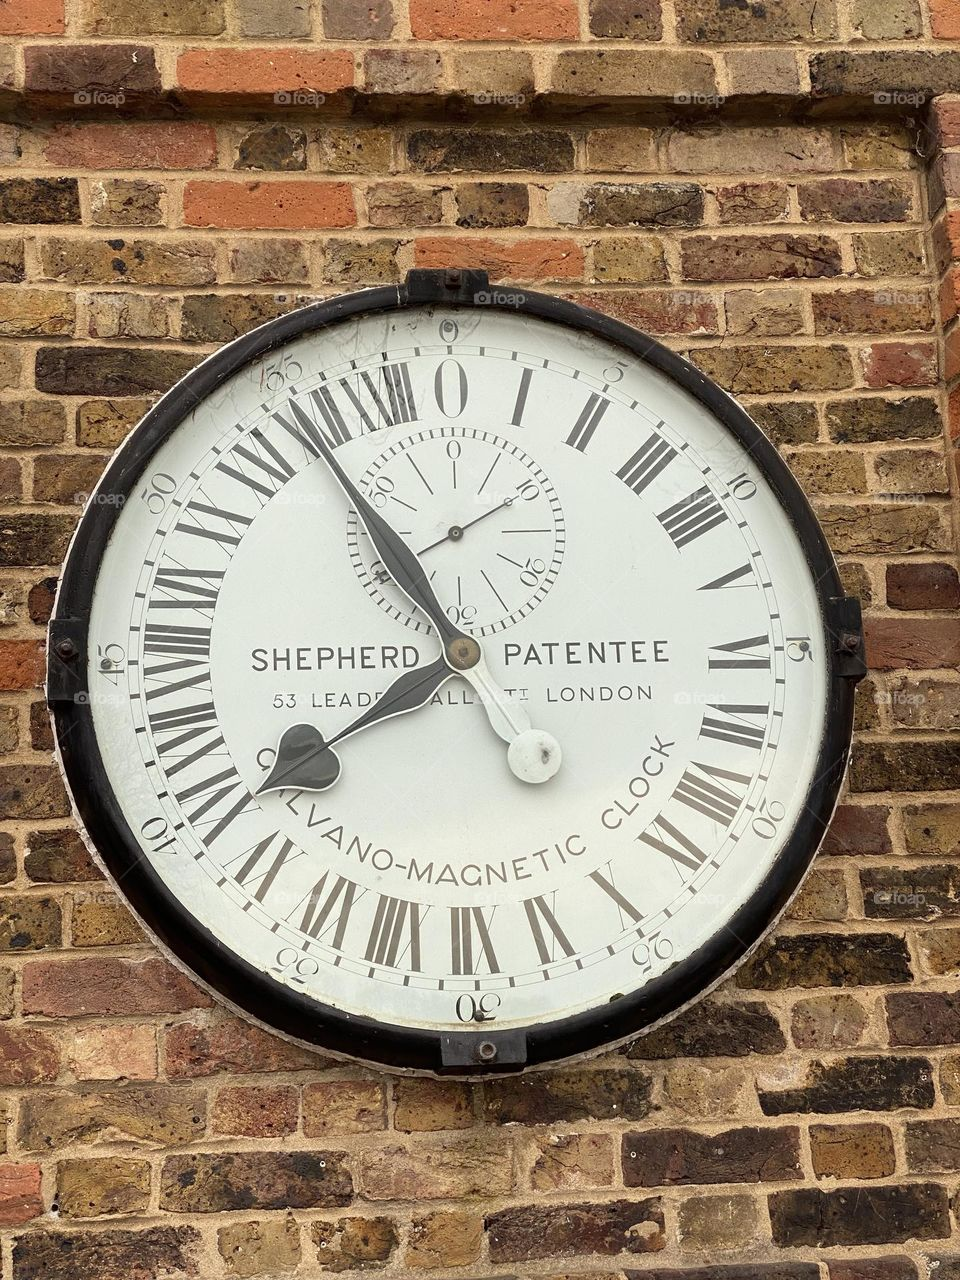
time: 7:54
